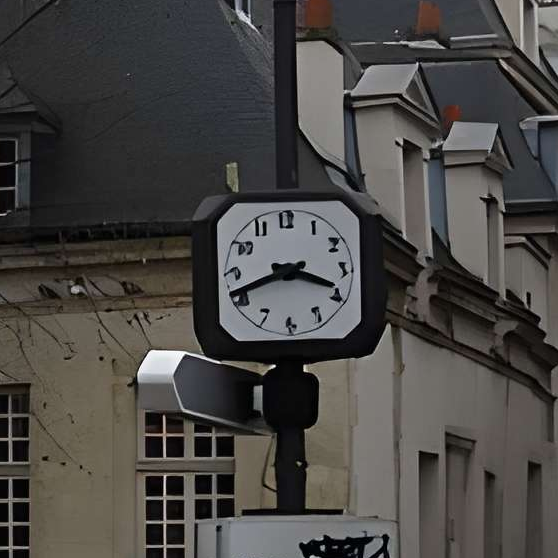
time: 3:41
